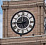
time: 5:44
